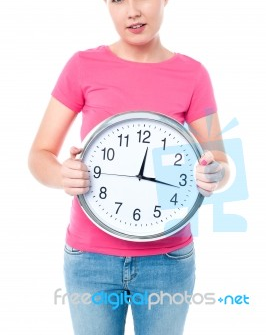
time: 12:16
